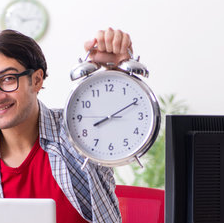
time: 8:10
